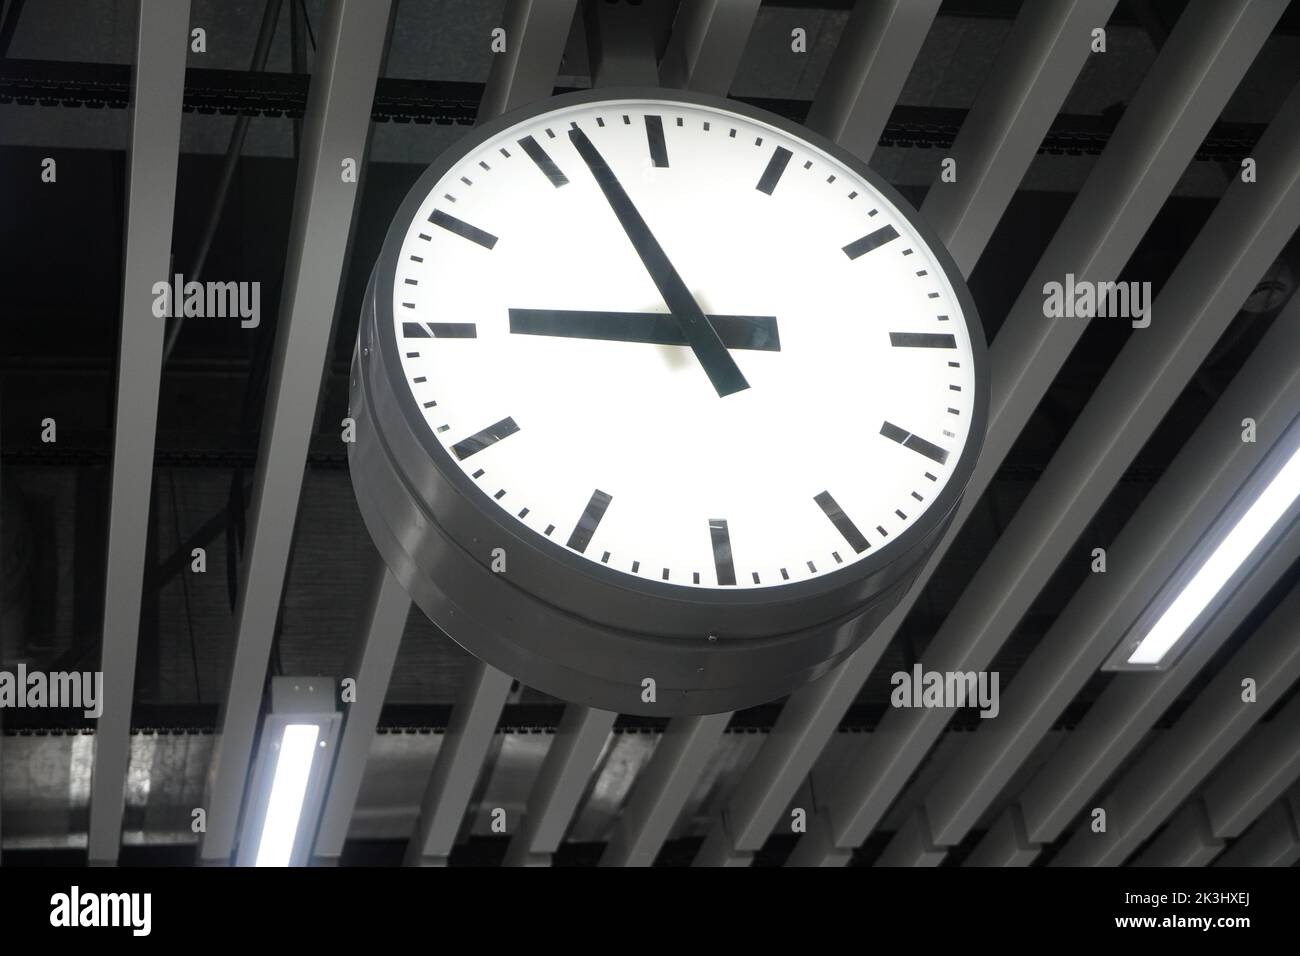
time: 8:56
